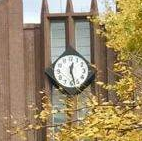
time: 12:27
